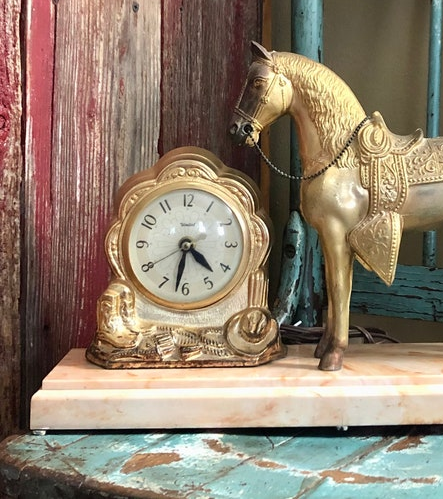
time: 4:32
